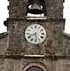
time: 5:41
